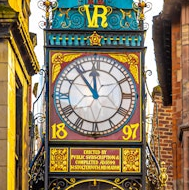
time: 11:53
